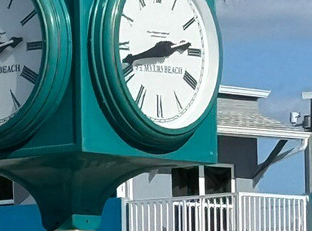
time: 2:42
